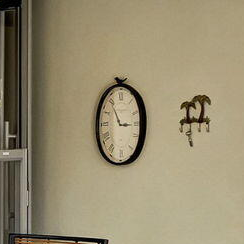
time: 2:53
